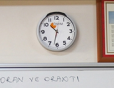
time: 10:32
